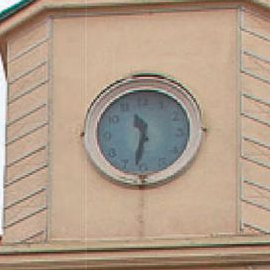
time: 11:32
